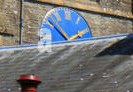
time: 1:52
